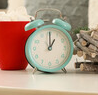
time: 1:00
